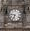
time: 6:46
